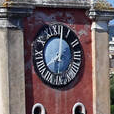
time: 8:01
